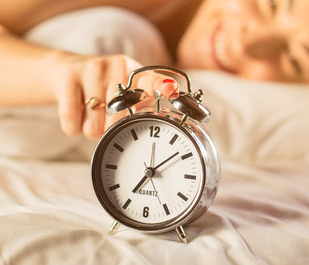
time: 7:08
